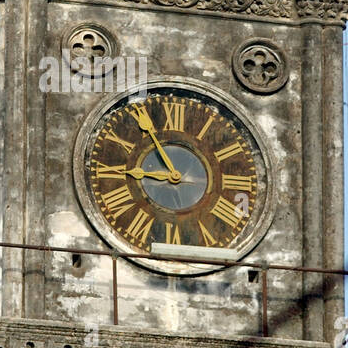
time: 8:55
